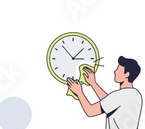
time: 2:53
